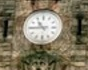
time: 10:45
